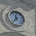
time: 11:36
